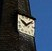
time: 10:08
